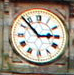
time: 2:53
